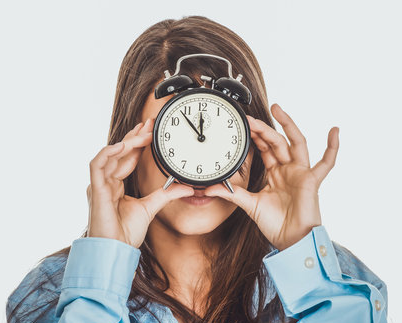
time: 11:53
